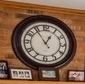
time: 12:54
